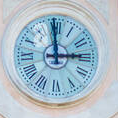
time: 2:59
